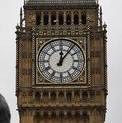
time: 12:06
